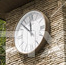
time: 11:52
